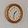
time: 1:32
